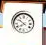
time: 7:51
